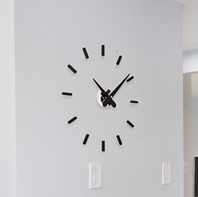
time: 4:09
